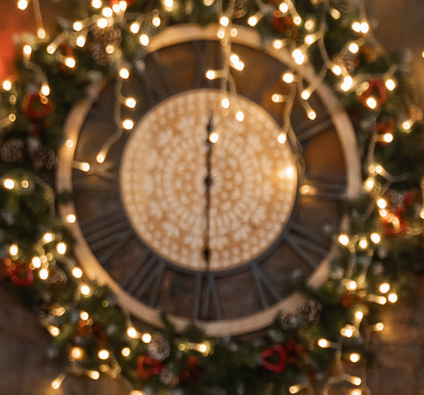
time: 12:30
